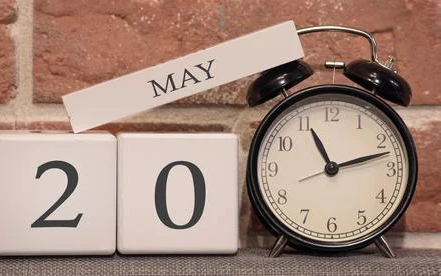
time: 11:12
